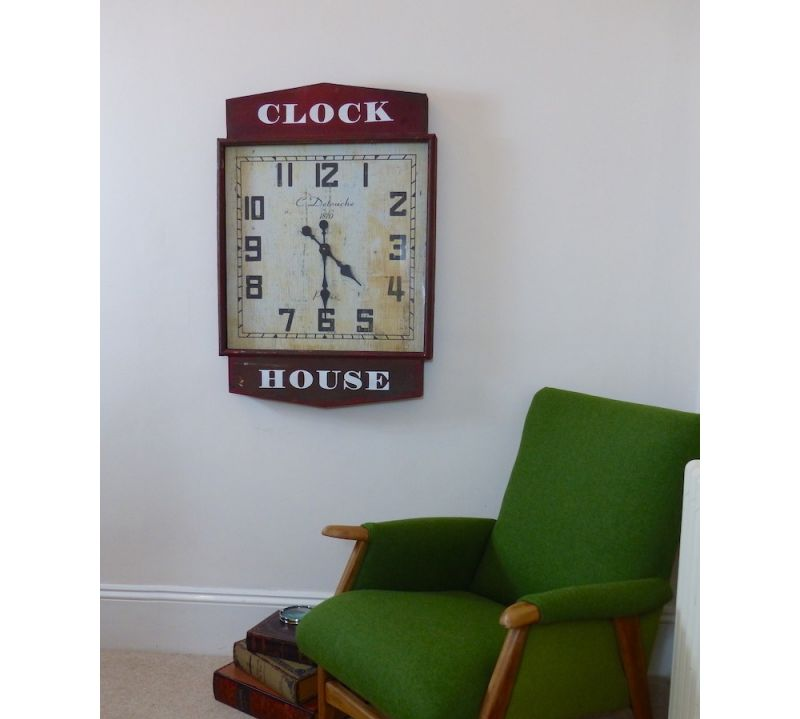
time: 4:30
